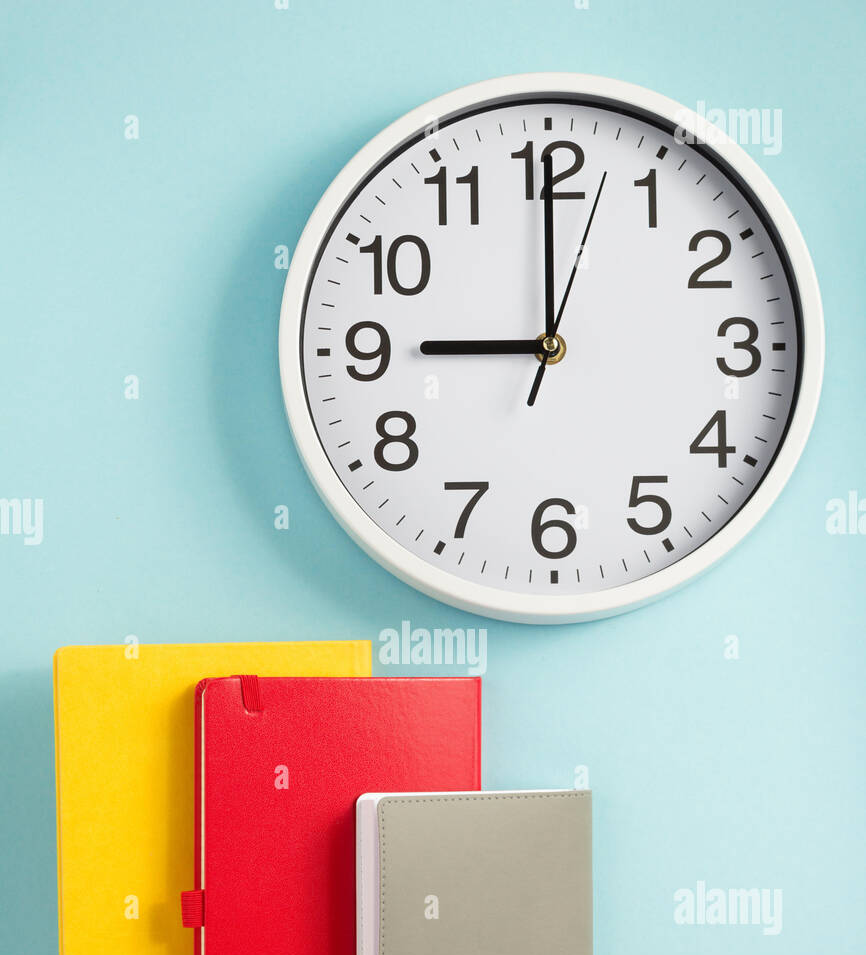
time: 9:00
